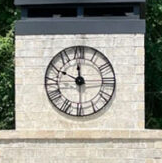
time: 11:49
